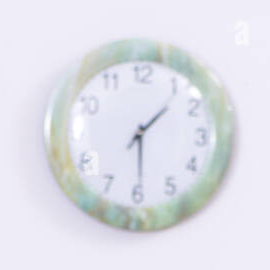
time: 1:29
